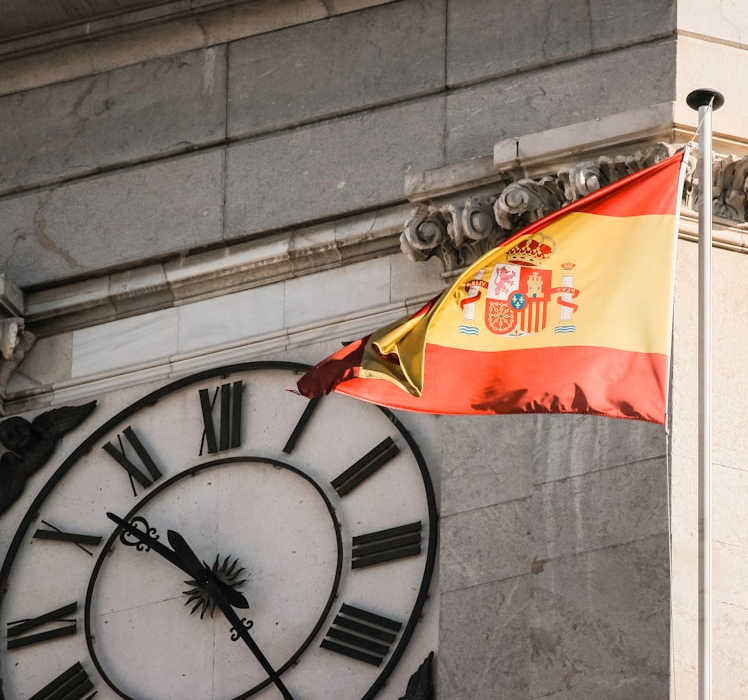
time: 10:24
